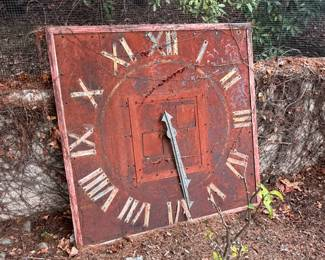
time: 5:28
